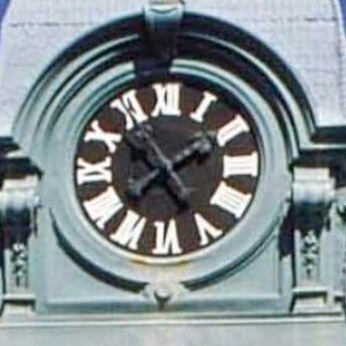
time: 1:52
